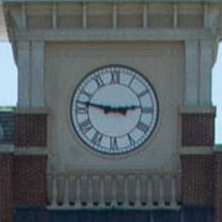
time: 2:47
